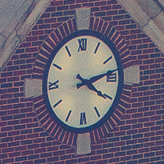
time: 4:13
